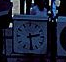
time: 2:29
